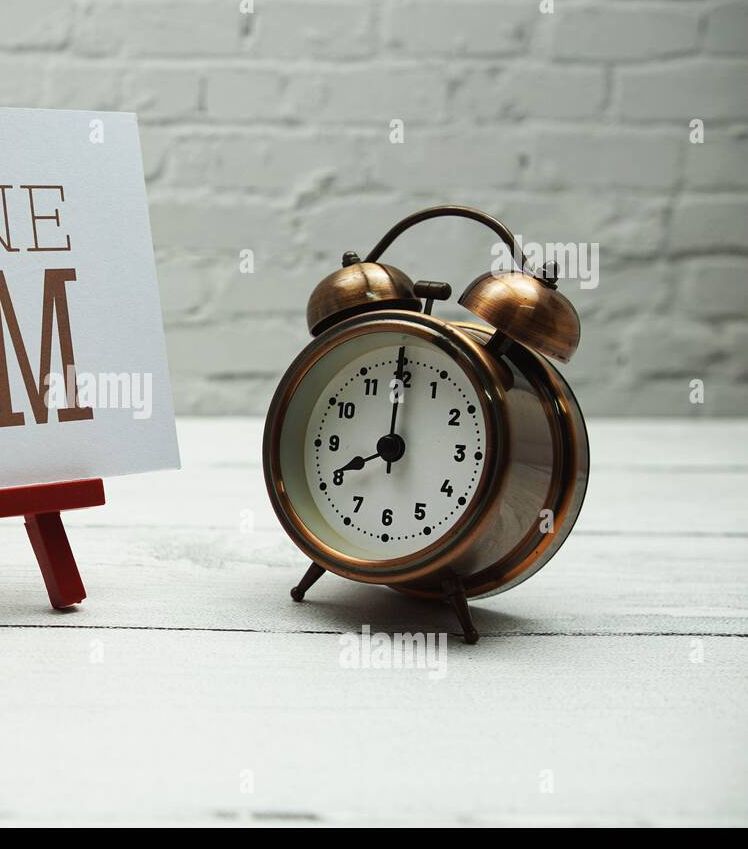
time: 8:00
